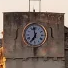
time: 6:58
